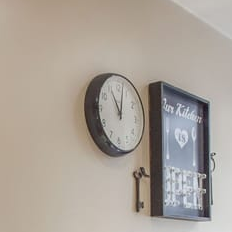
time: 11:02
